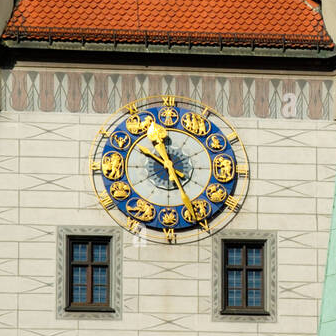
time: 9:57
